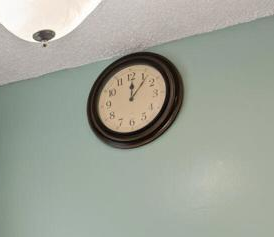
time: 12:06
